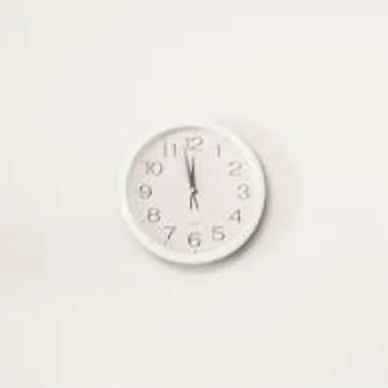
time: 11:57
